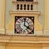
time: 4:00
